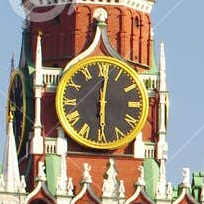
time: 6:01
